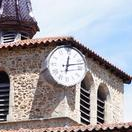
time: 12:12
